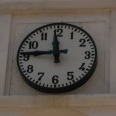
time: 11:45
